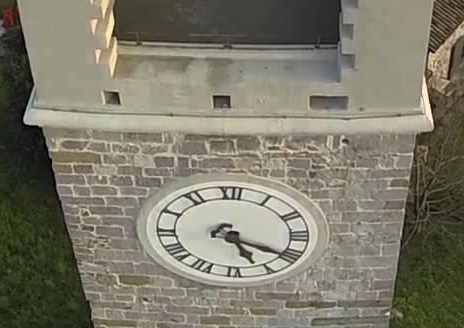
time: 5:20
